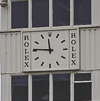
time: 11:45
